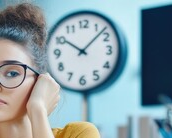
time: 10:07
